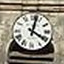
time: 4:02
